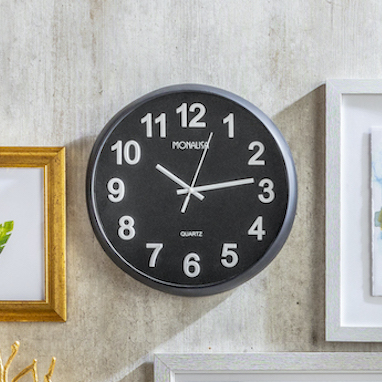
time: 10:13
